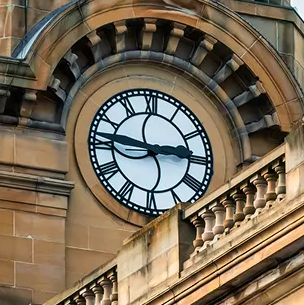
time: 2:46
